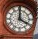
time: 4:00
